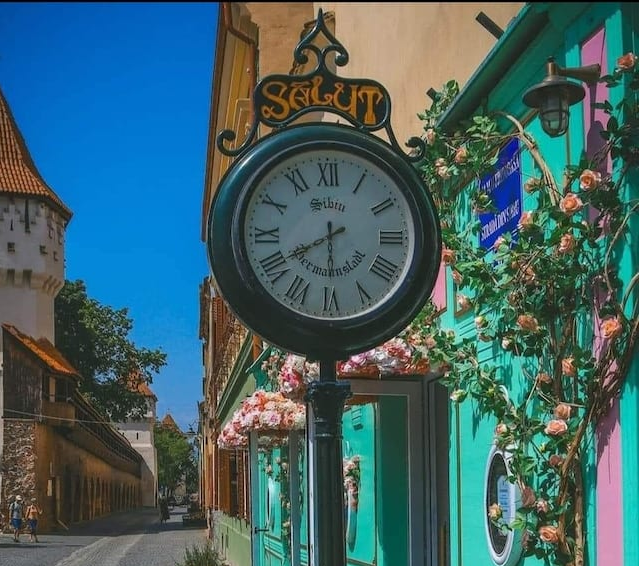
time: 5:40
